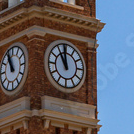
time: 10:58
